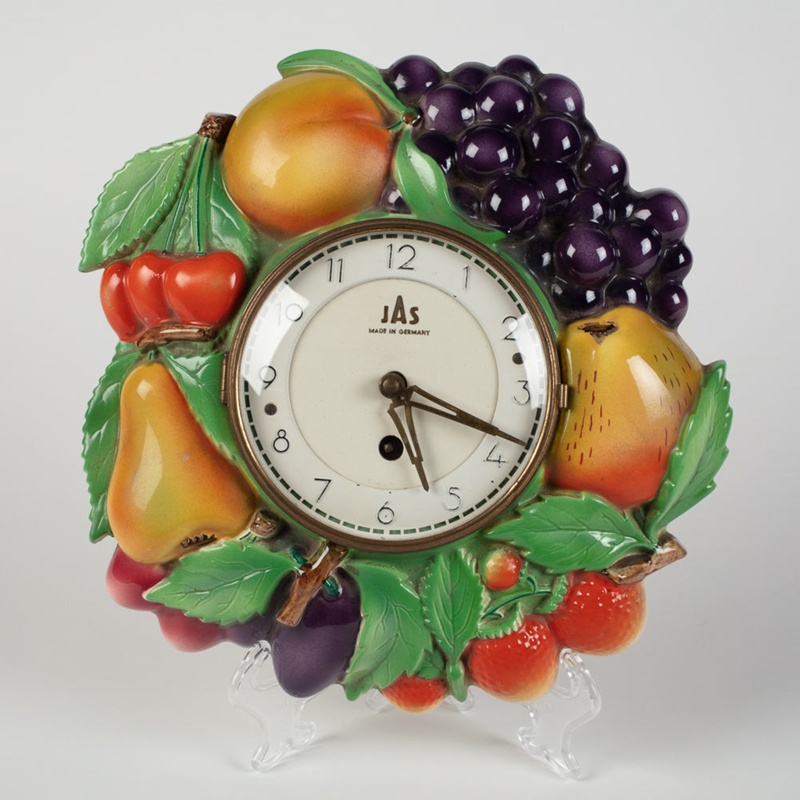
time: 5:18
